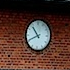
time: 10:41
